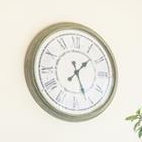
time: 1:26
